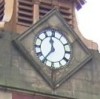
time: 11:36
